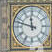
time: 11:47
